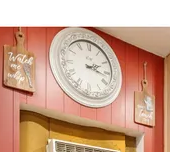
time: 2:16
